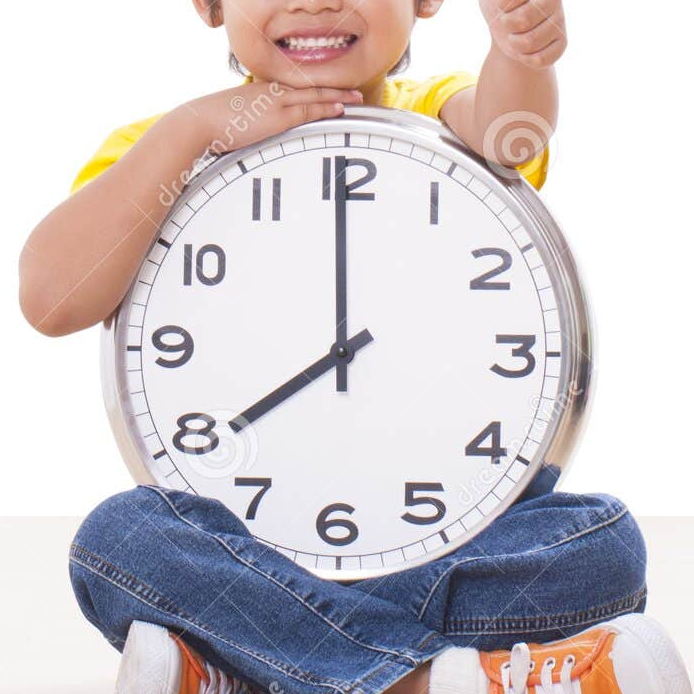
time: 7:59
